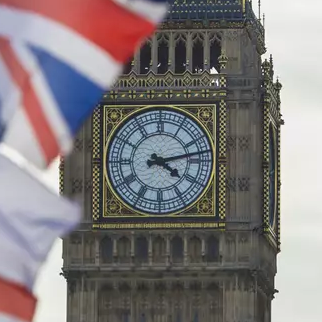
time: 4:12
